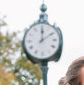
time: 12:09
